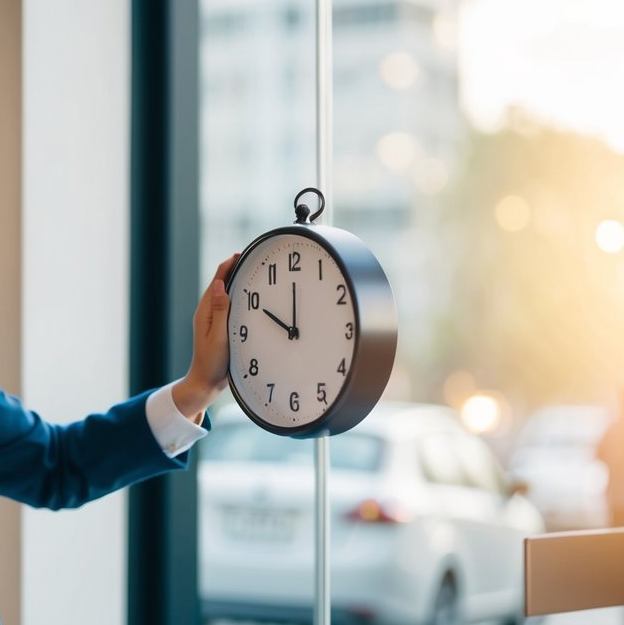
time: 11:49
